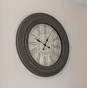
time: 12:49
